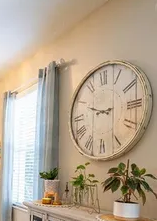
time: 8:48
